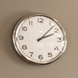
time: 2:07
